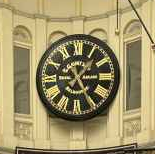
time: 1:24
